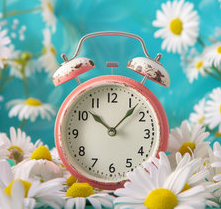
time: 10:07
